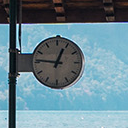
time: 12:46
